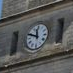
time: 11:48
